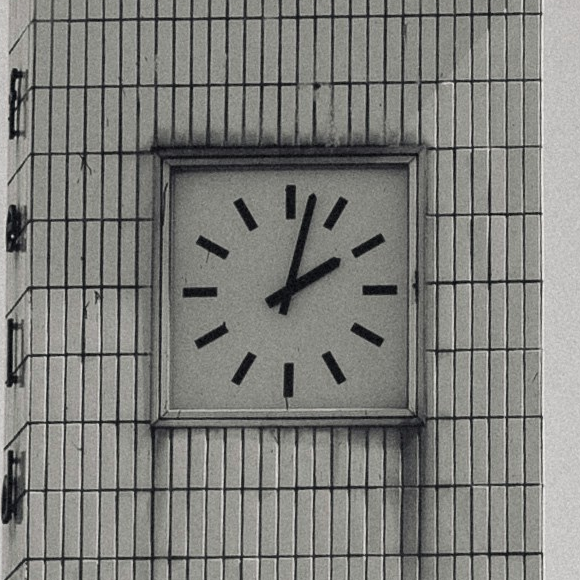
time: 2:02
